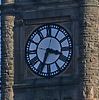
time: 3:33
